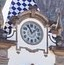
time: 11:08
